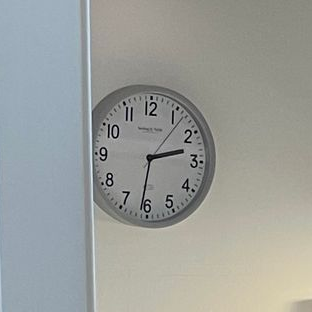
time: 2:31
